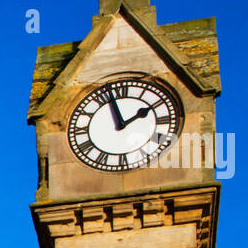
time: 1:57
